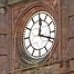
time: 12:18
